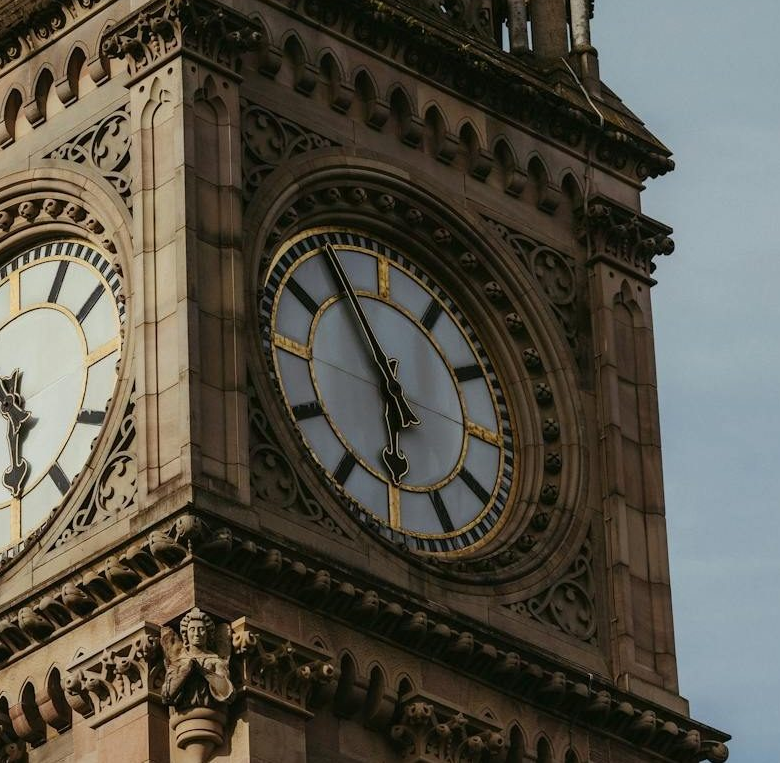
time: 5:54
